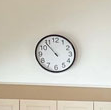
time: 10:53
